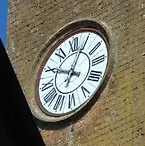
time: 10:04
